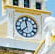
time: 11:37
